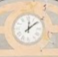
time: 12:08
